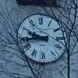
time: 9:43
